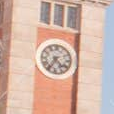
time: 4:35
